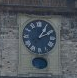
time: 1:11
